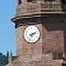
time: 2:35
